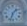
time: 1:33
